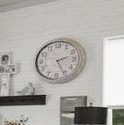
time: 2:26
